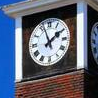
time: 1:56
